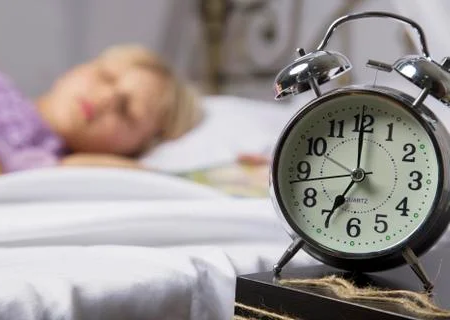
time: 7:00
